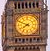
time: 7:49
